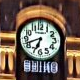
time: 6:41
